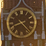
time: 8:22
